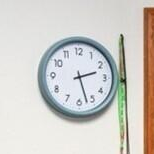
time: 2:27
